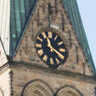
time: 11:20
